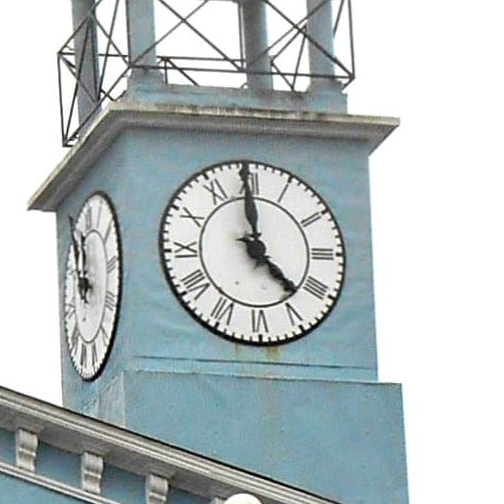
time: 4:59
